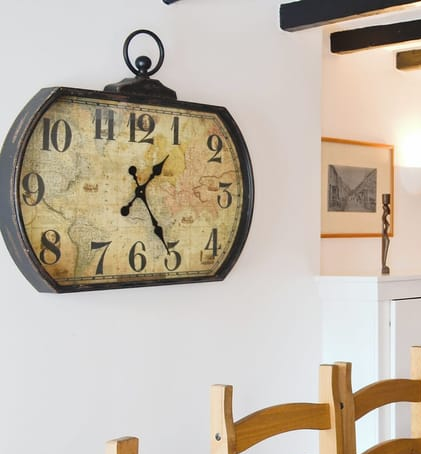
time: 1:25
